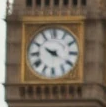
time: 9:50
